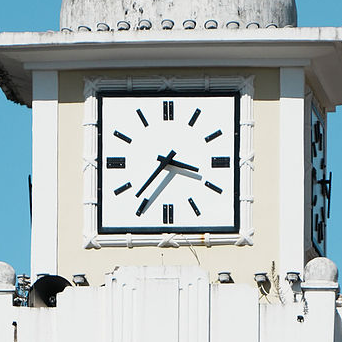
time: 3:36
